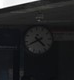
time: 4:41
